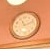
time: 11:12
